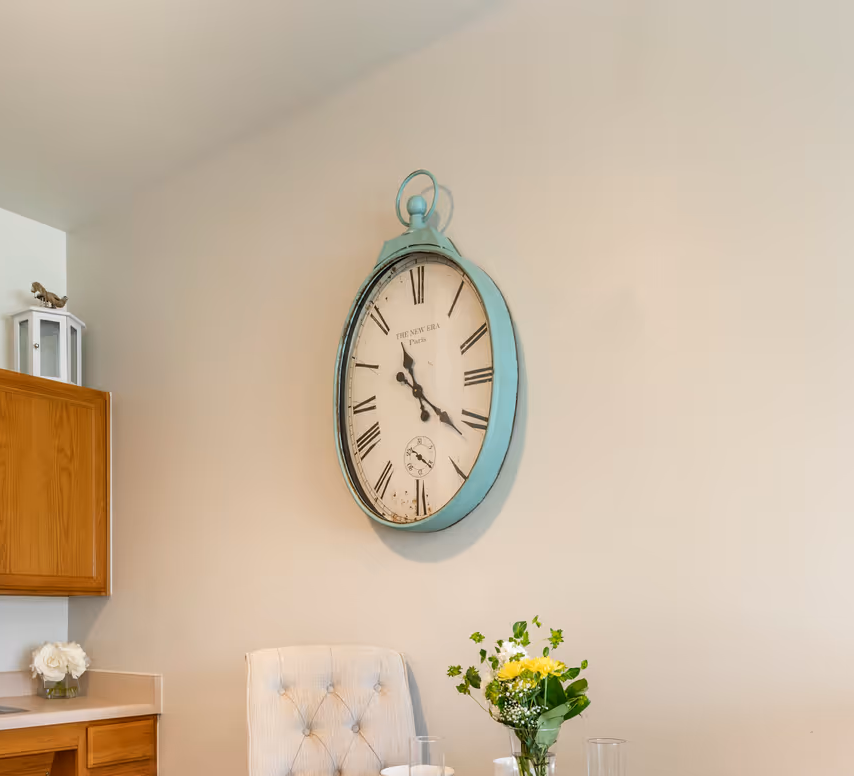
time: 11:21
